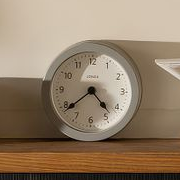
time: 4:38
